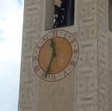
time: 11:33
